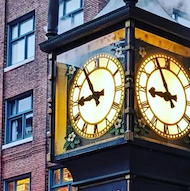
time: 8:54
